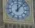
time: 12:06
